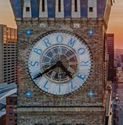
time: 4:39
